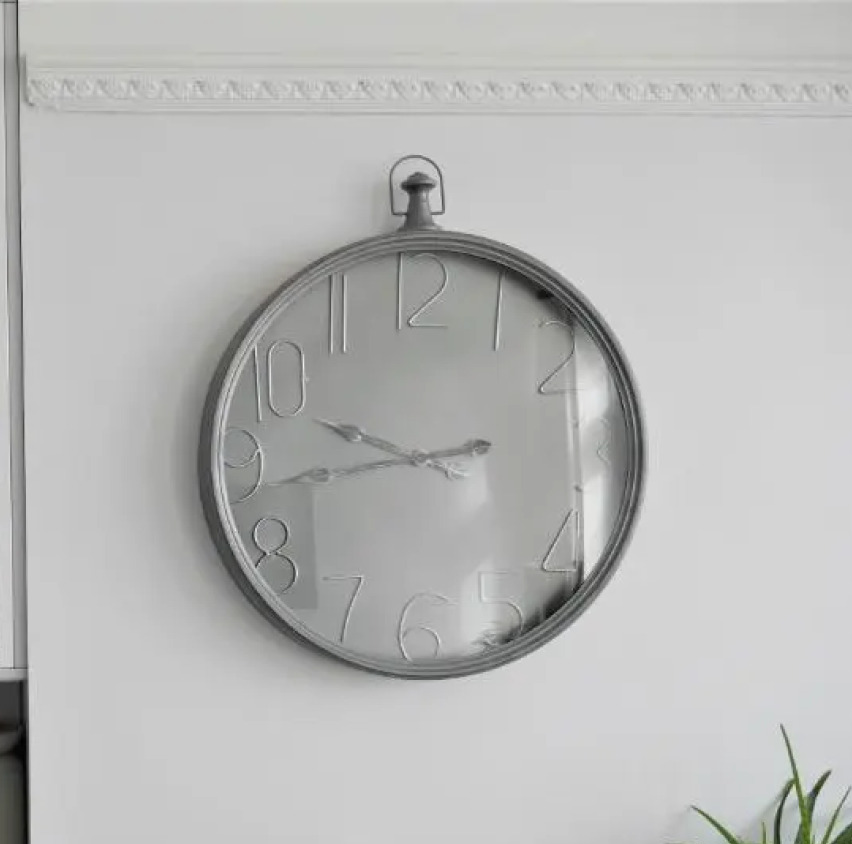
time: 9:43
